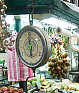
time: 5:59
